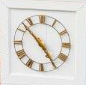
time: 4:52
